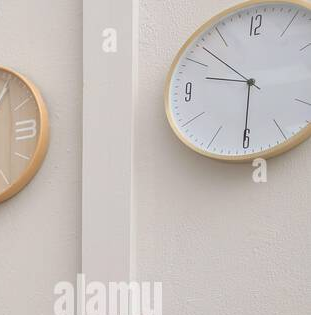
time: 9:30
